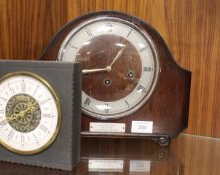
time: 12:44
